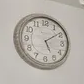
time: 5:09
